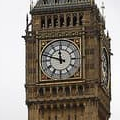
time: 11:47
